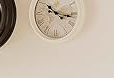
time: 10:16
